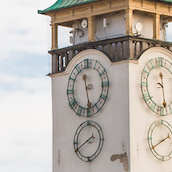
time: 11:28
